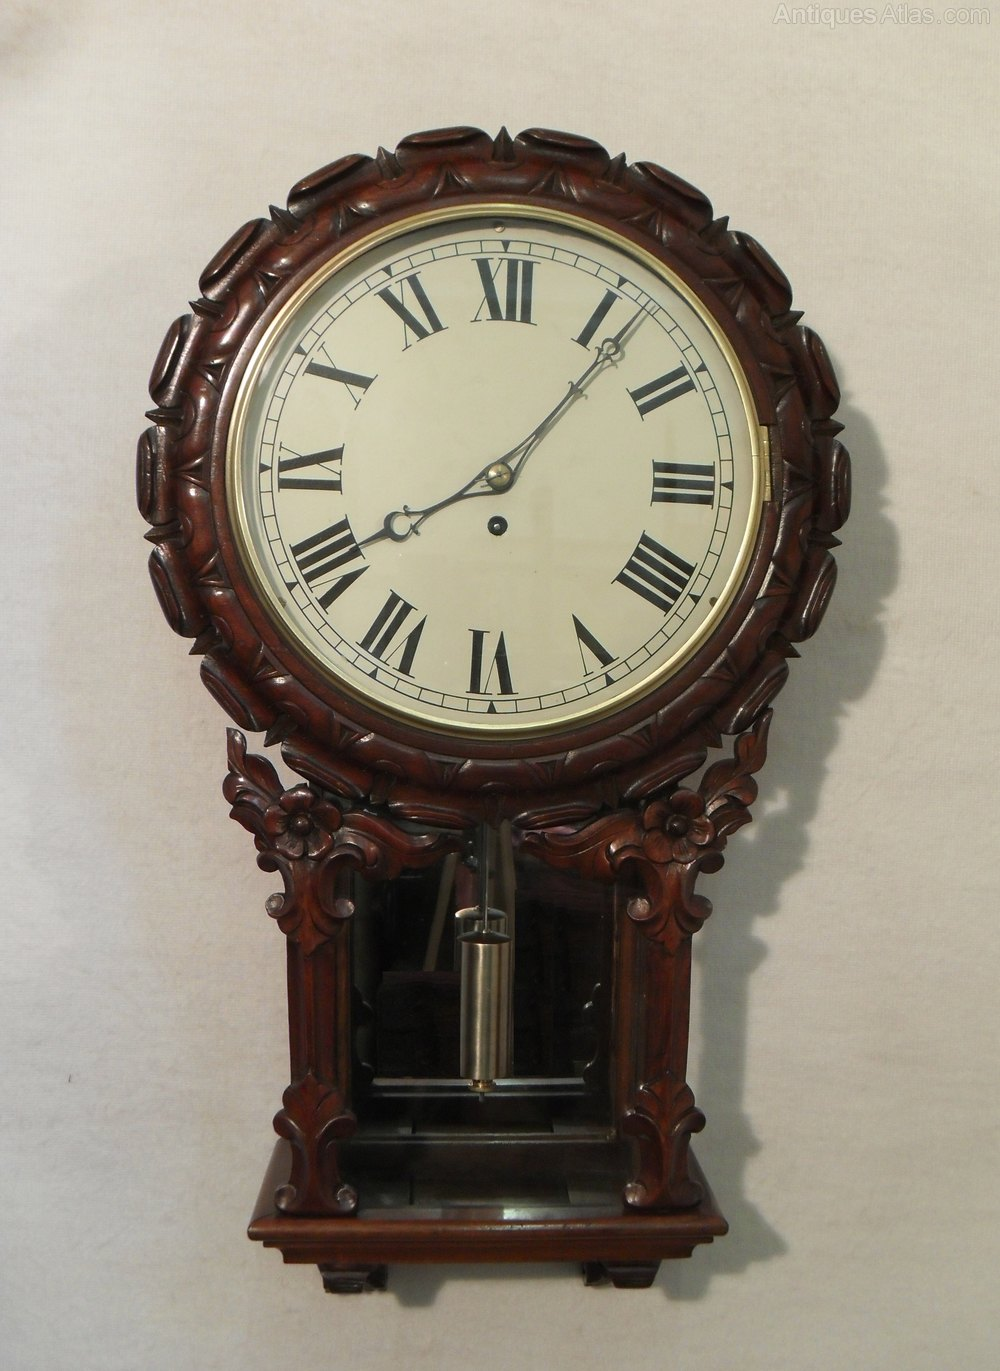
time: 8:06
